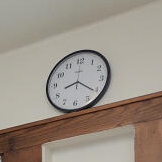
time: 8:20
